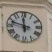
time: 11:47
